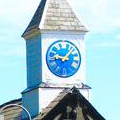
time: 9:07
